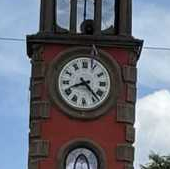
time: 8:23
